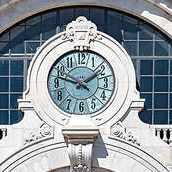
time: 1:47
